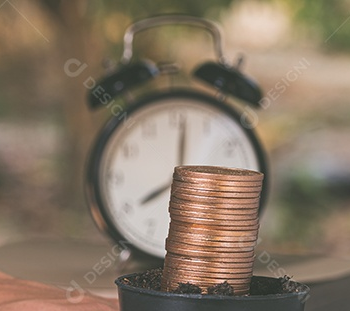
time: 8:01
